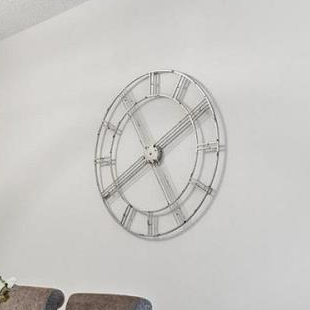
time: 8:09
